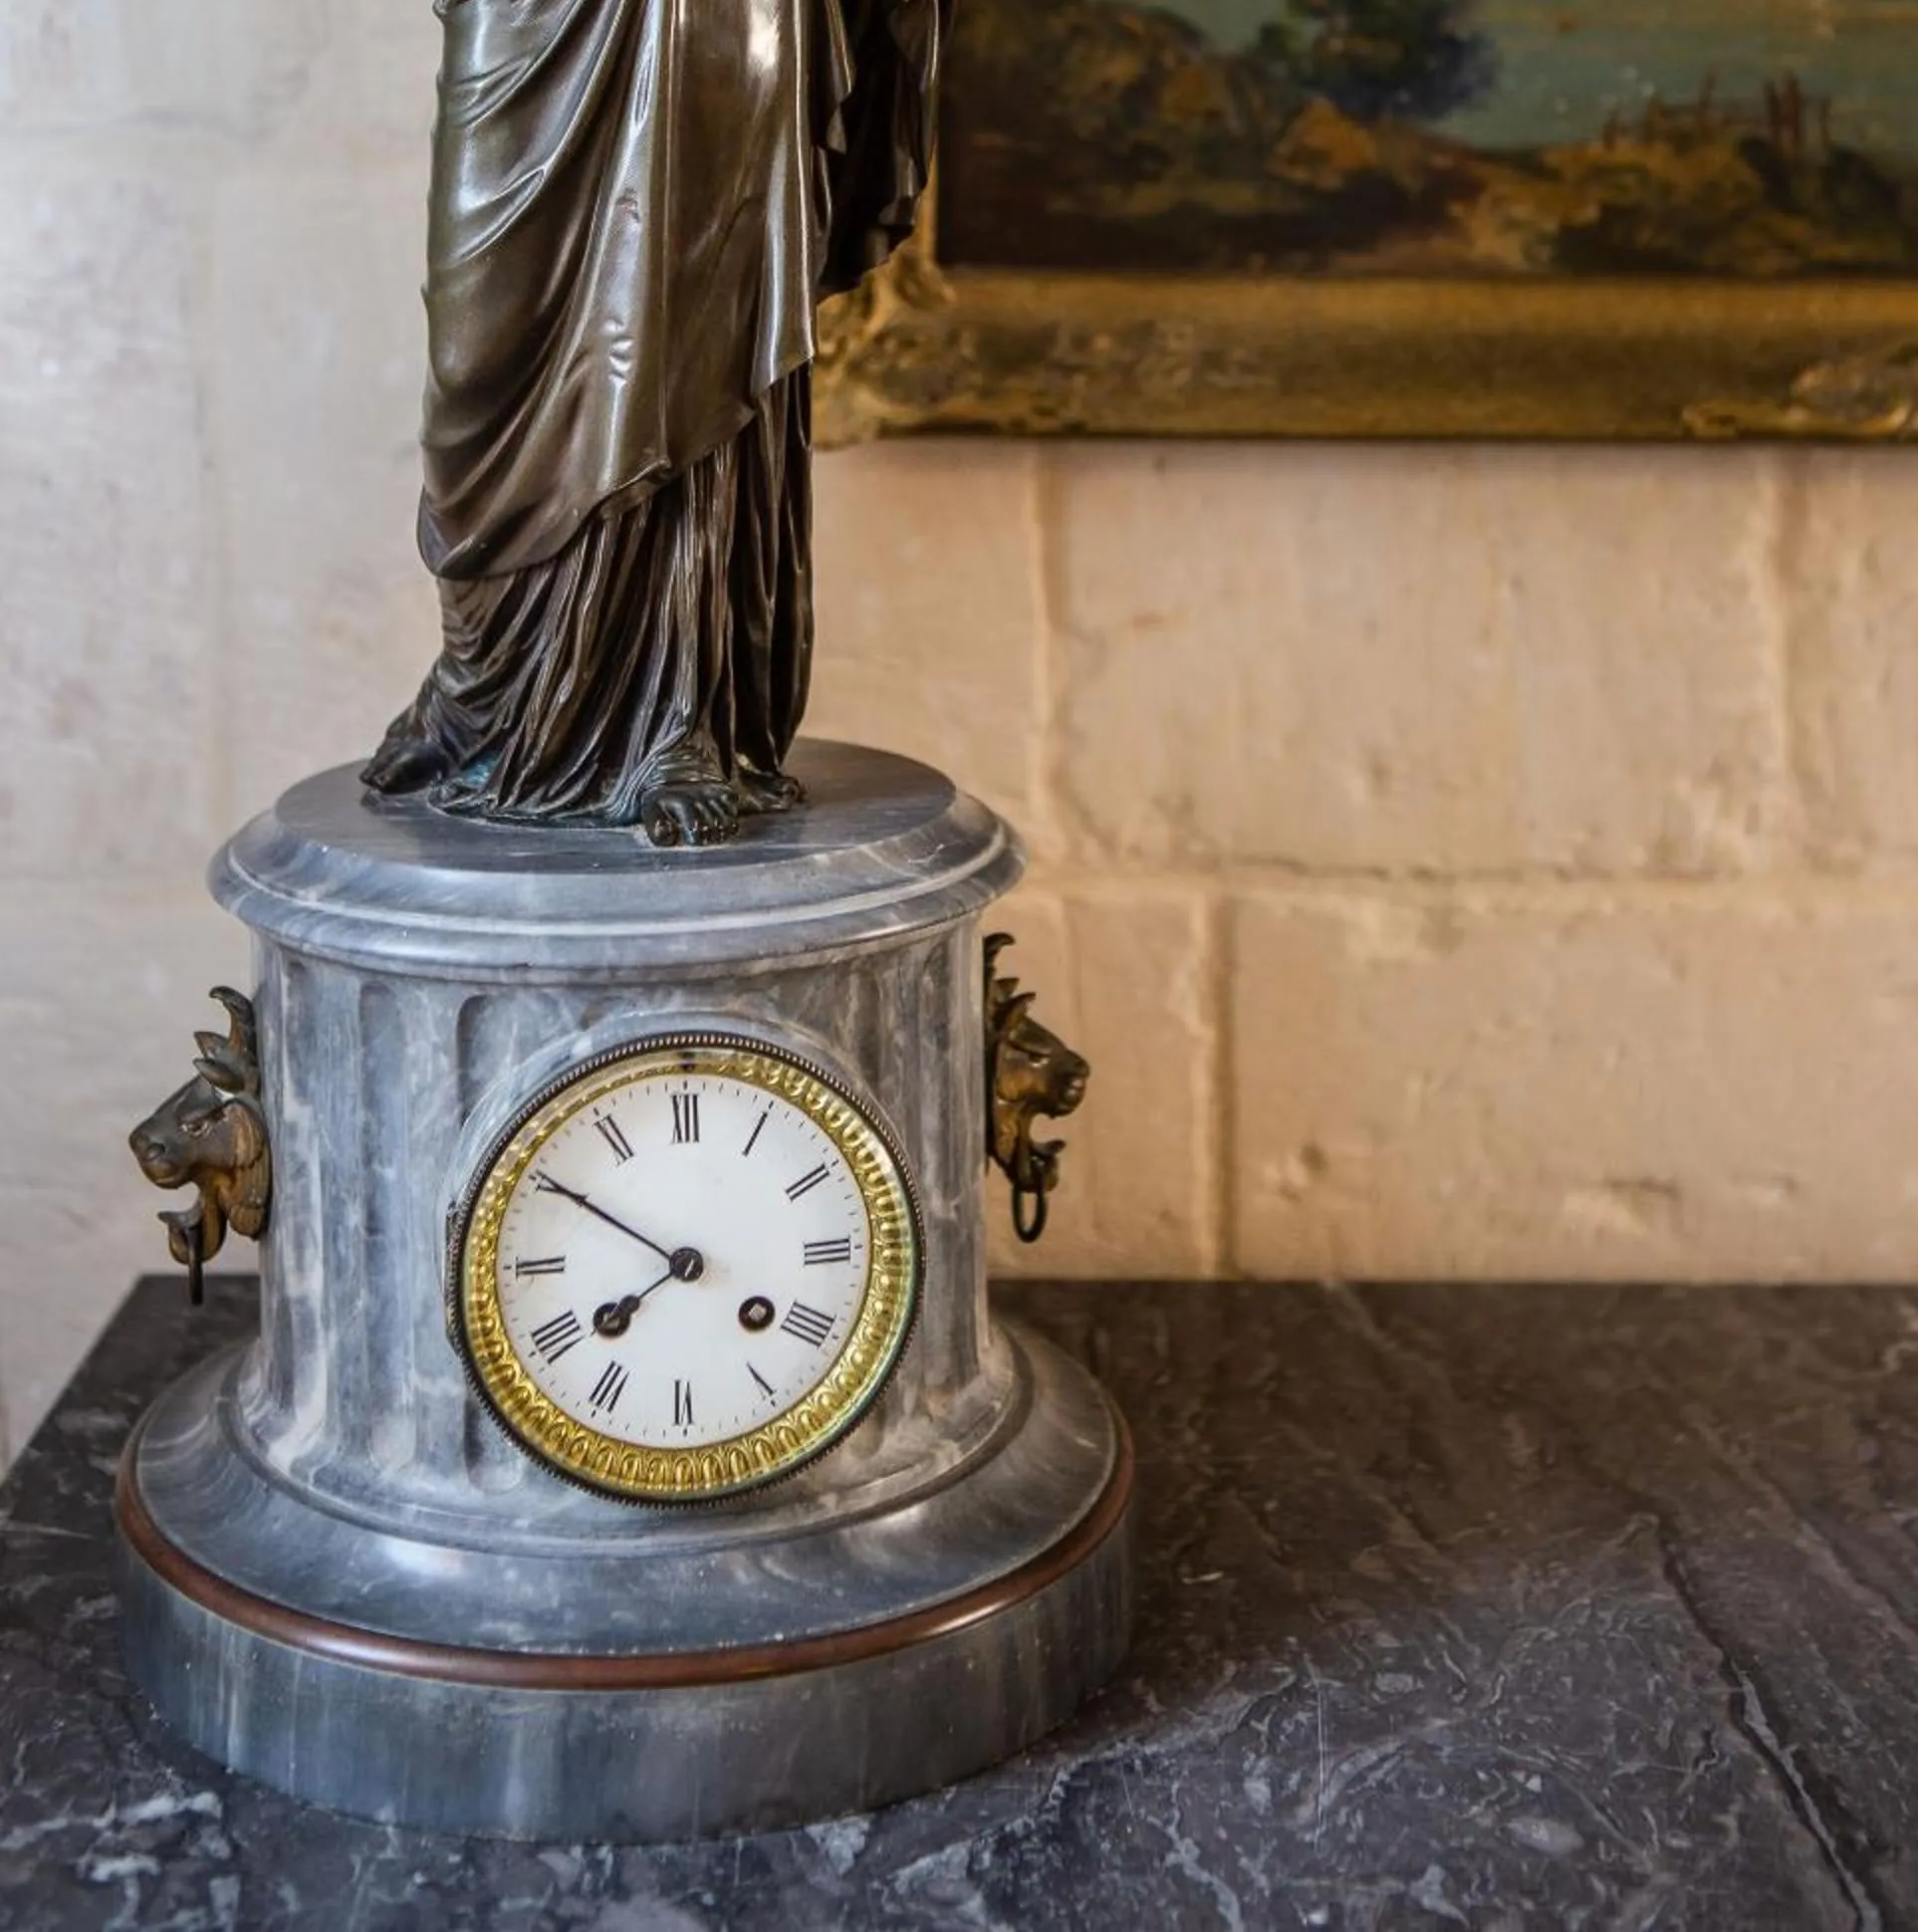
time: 7:49
